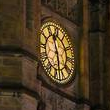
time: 11:28
